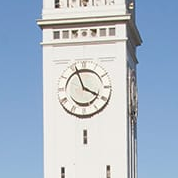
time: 3:56
